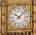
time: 10:07
